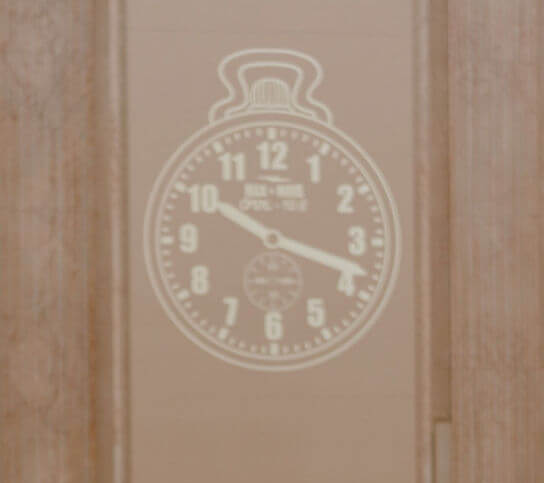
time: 10:18
